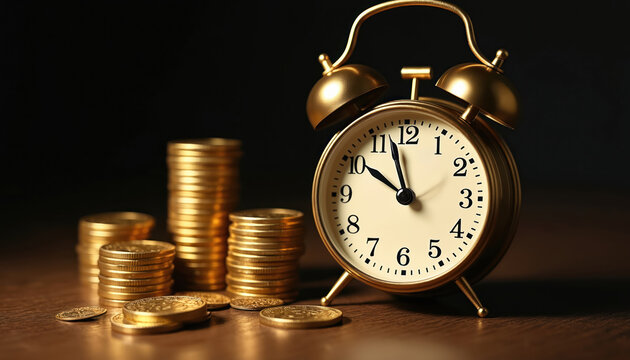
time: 9:57
